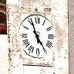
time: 4:56
